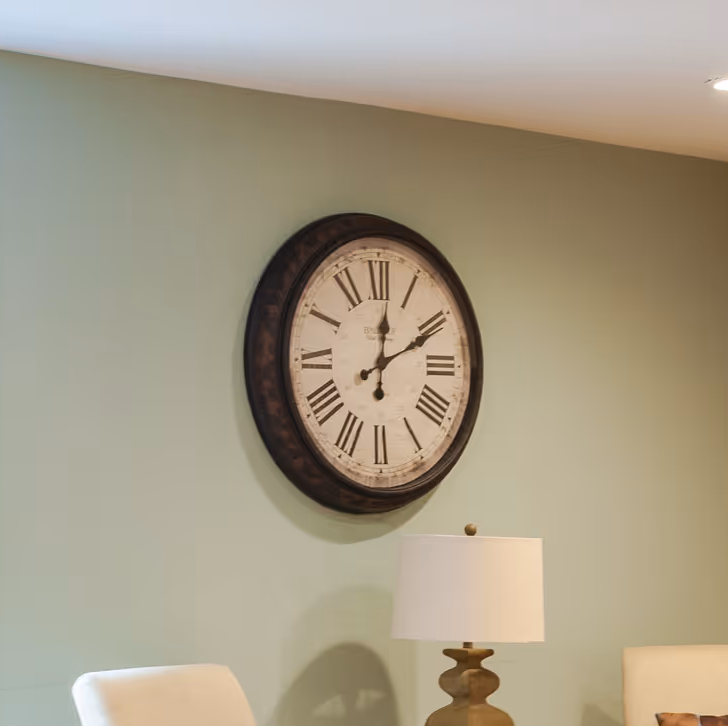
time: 12:10
